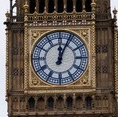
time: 12:04
